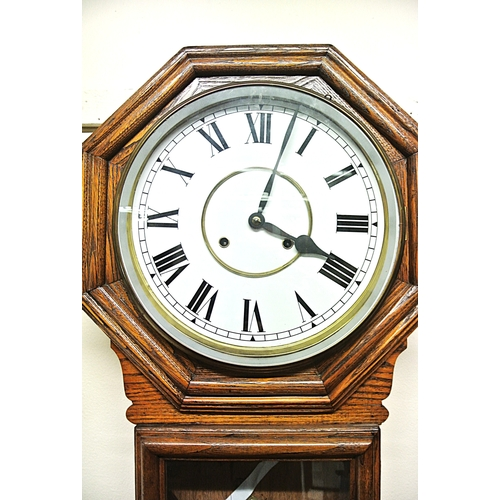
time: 4:03
